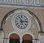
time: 11:13
